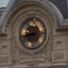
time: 2:42
